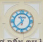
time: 11:37
